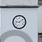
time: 9:09
